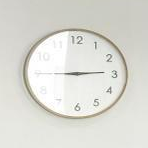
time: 2:45
